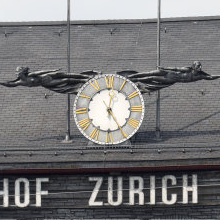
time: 12:24
